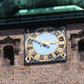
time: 10:12
